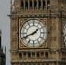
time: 1:41
